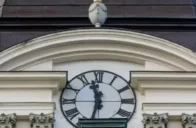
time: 11:32
